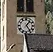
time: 1:24
